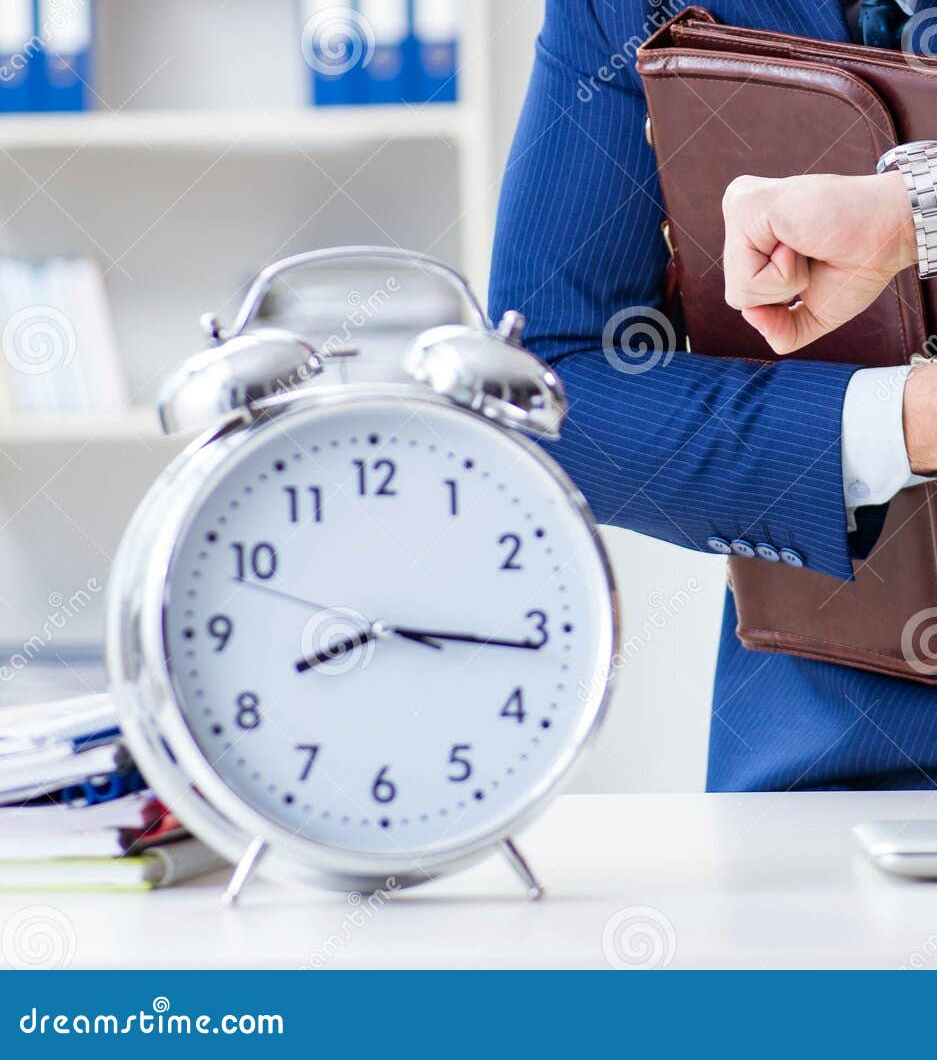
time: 8:15
